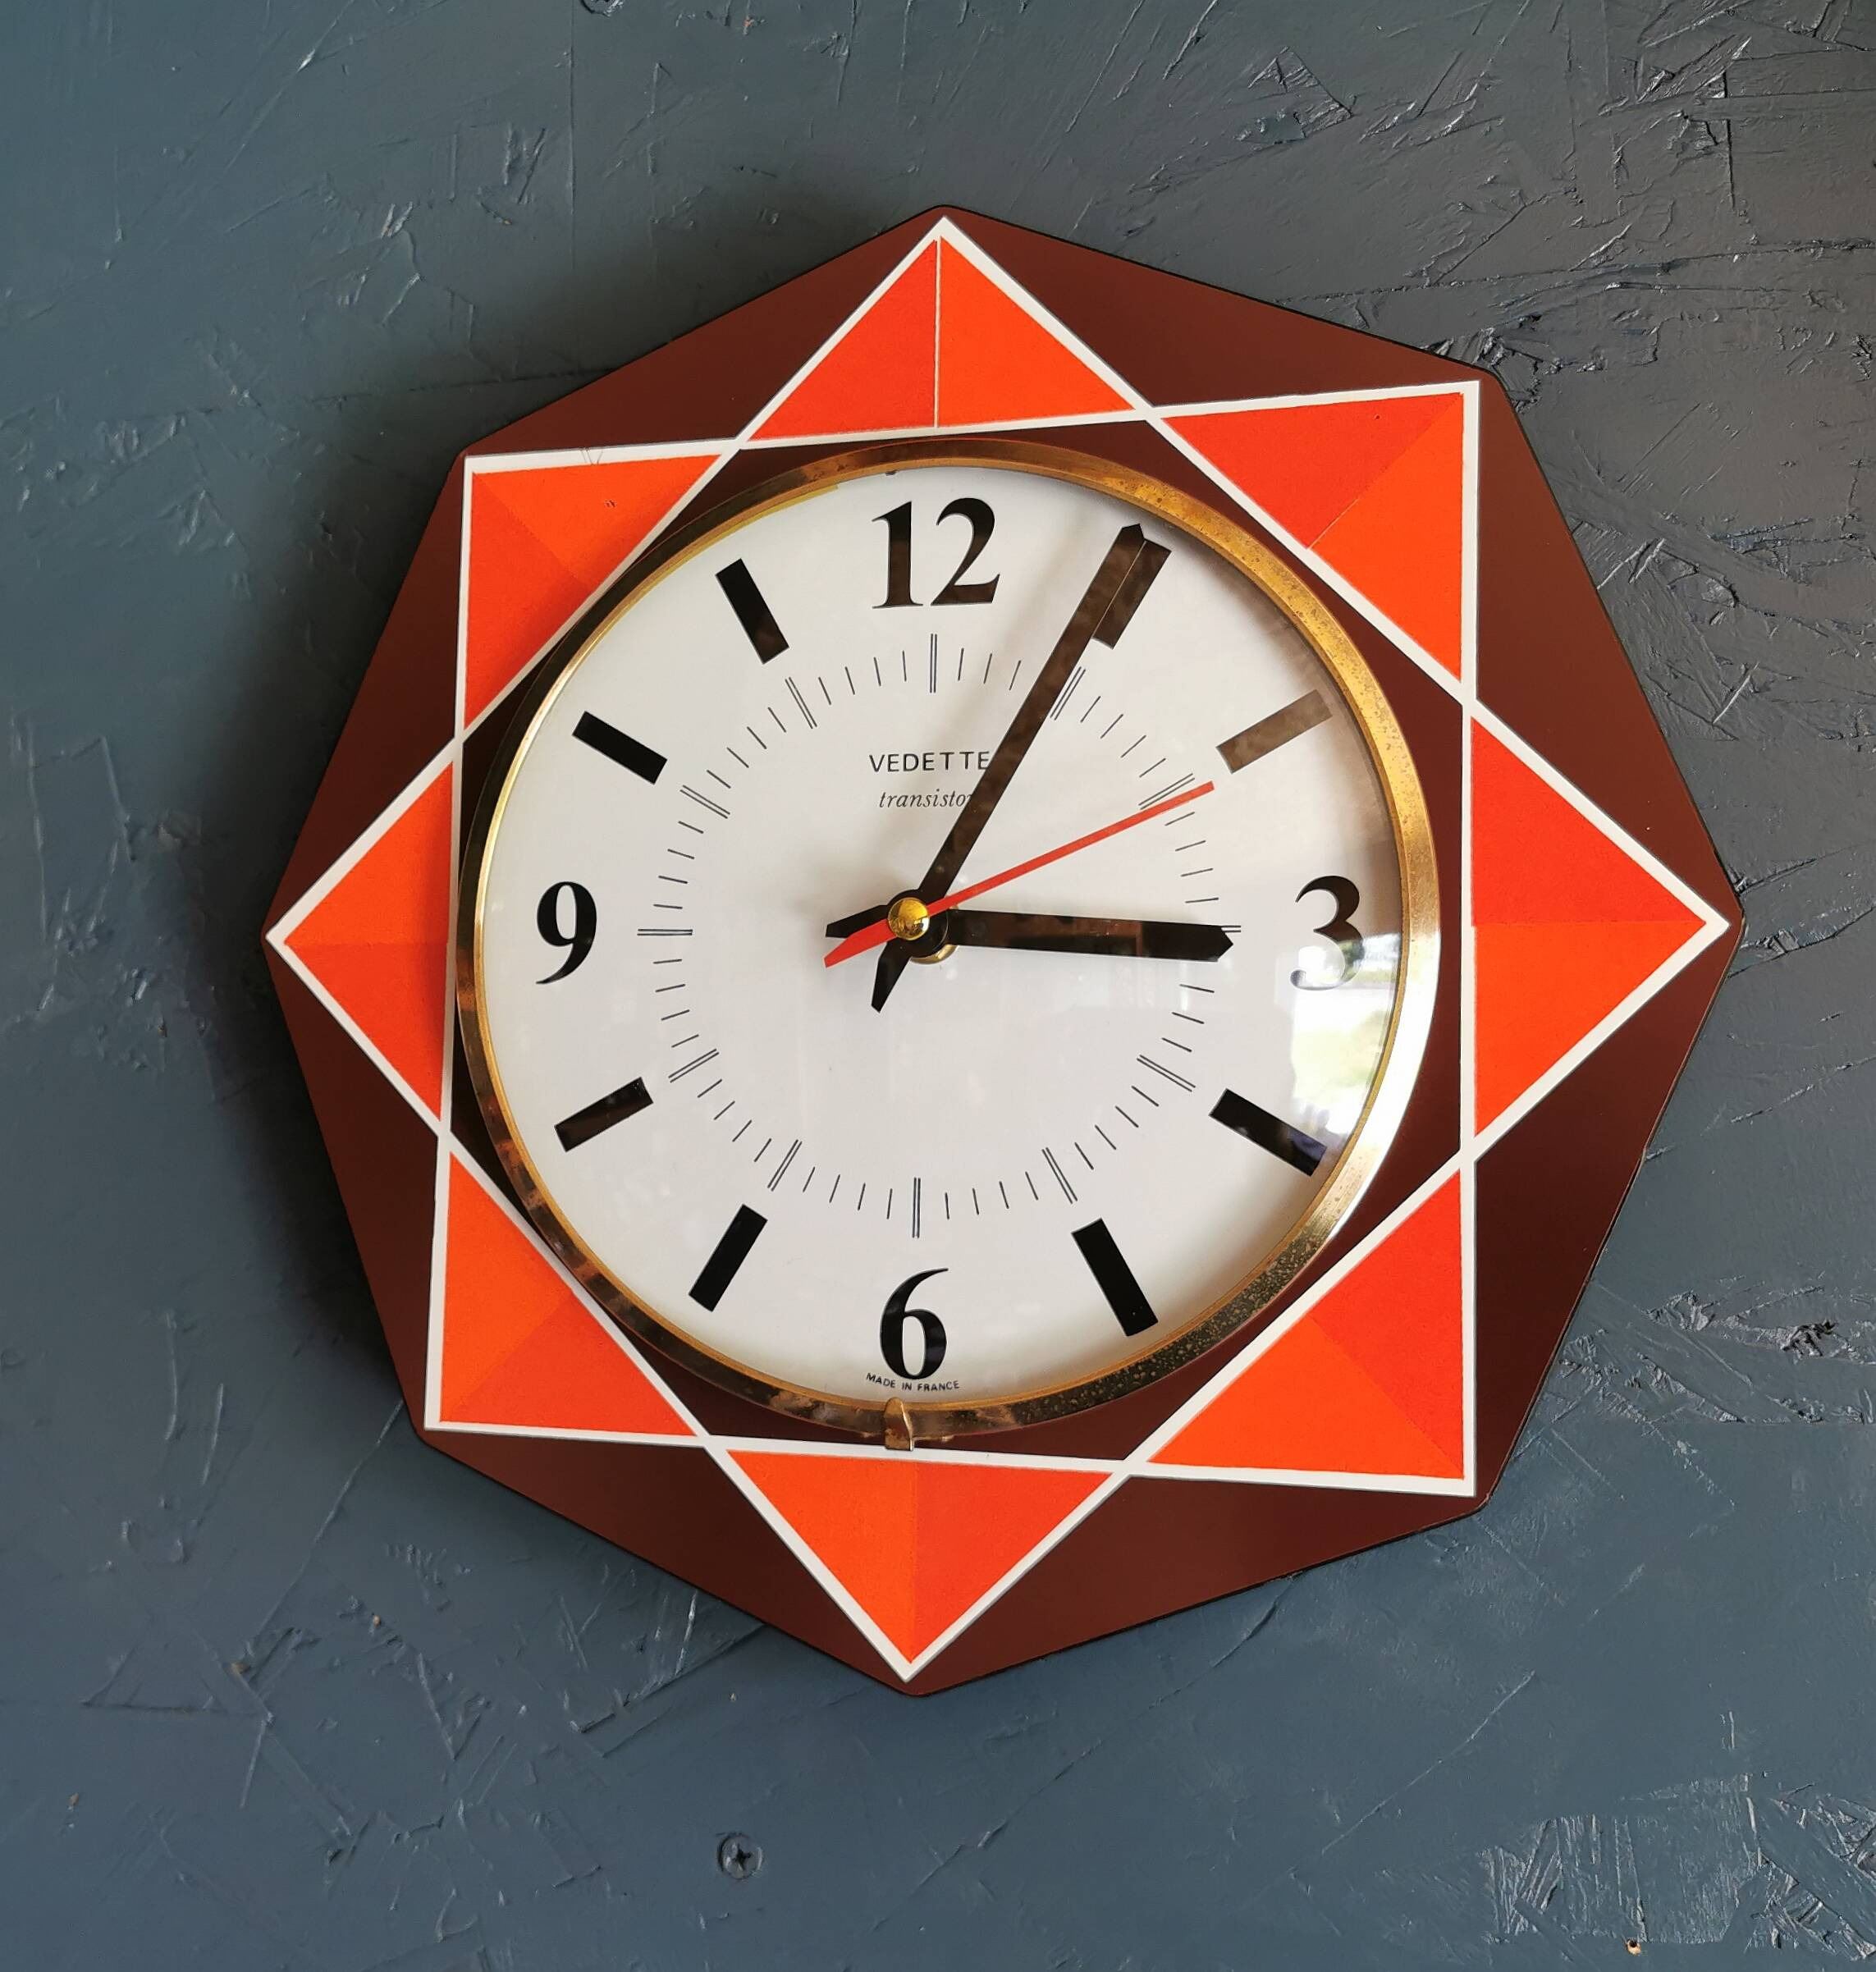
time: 3:04
